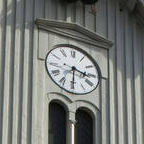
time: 3:30
